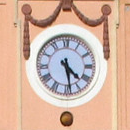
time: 4:28
